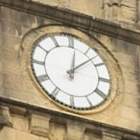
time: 12:07
